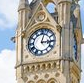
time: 3:02
